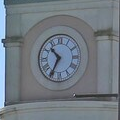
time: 10:34
